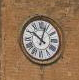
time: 10:03
